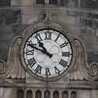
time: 10:48
